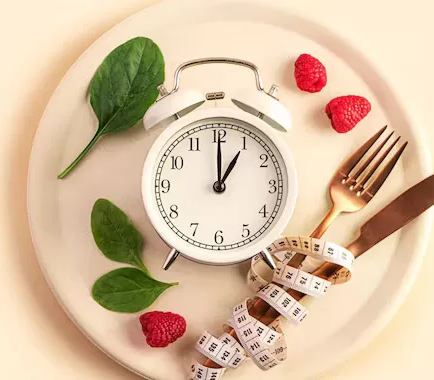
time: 1:00
